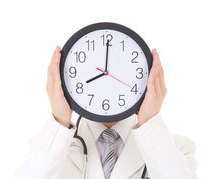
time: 8:00
